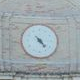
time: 4:23
